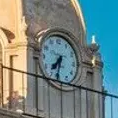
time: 7:32
